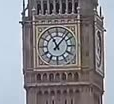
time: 11:07
